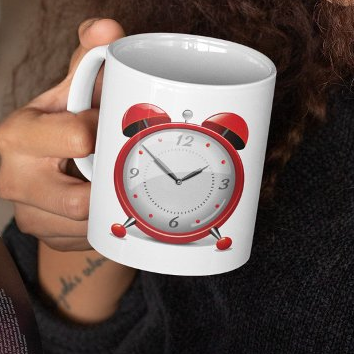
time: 1:51
